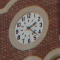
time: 2:21
